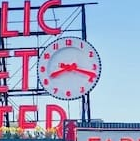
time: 8:17
